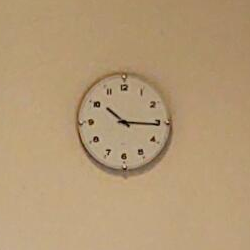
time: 10:15
